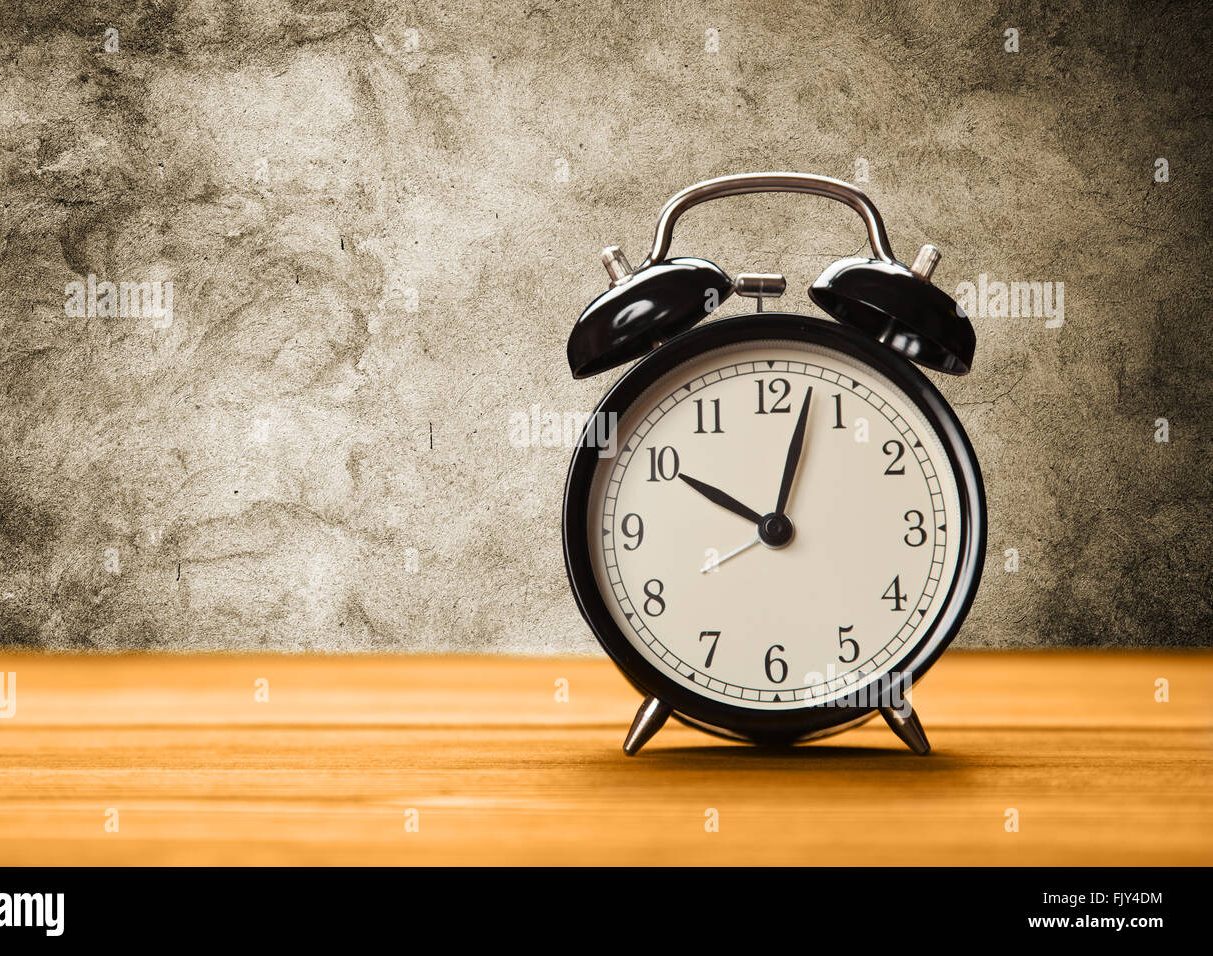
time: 10:02
